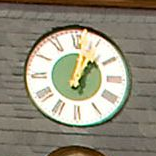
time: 1:02
